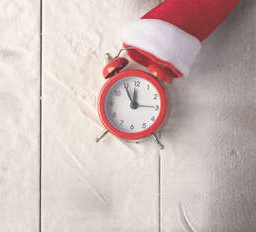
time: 11:54
